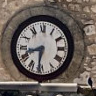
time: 8:31
